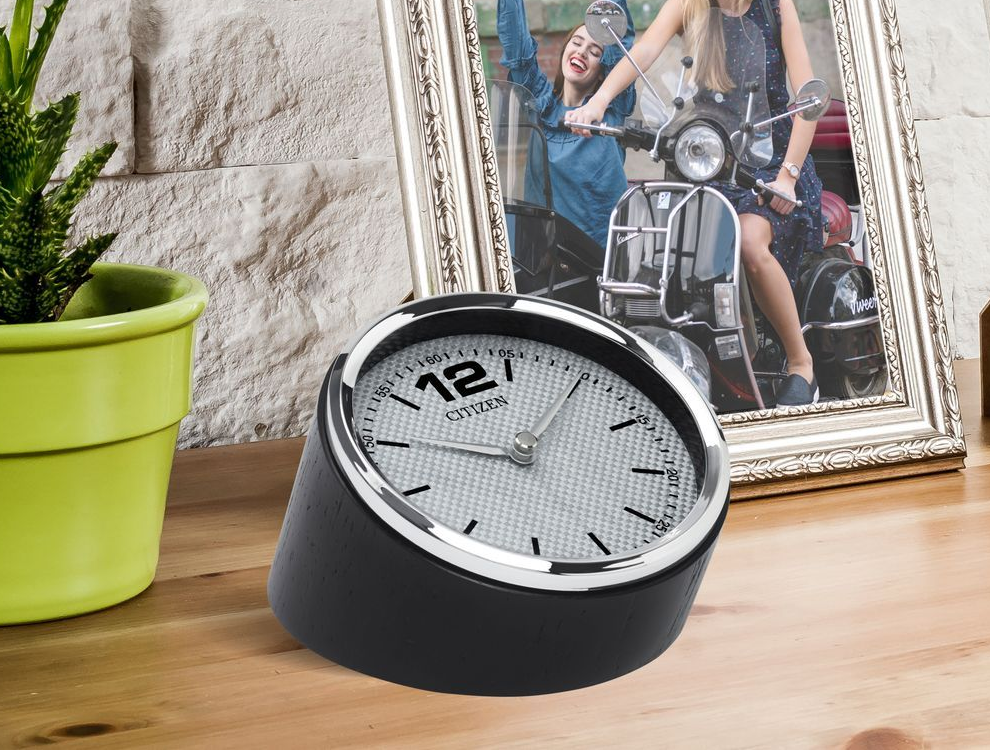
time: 9:05
